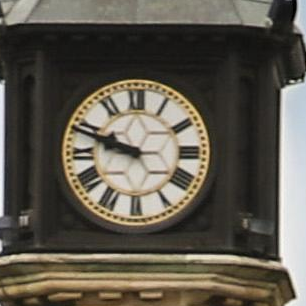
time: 9:48
